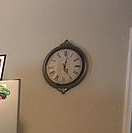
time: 5:01
